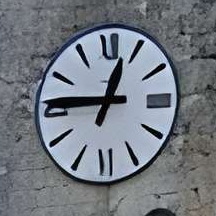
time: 12:45
